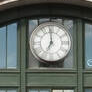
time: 7:00
